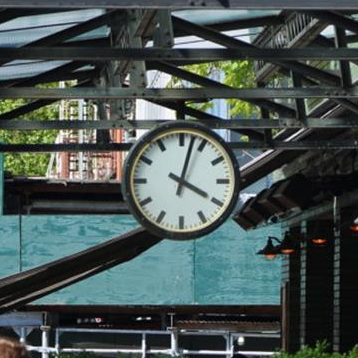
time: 4:02
